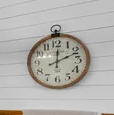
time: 12:11
